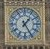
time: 1:24
